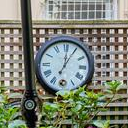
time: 12:04
